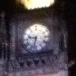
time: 9:33
